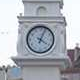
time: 4:03
